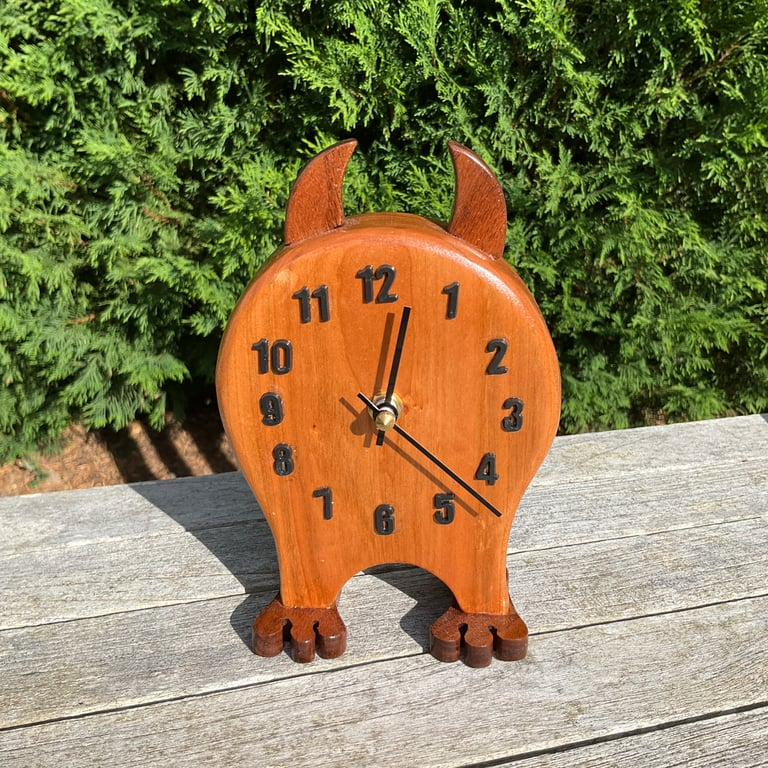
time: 12:21
